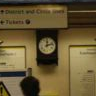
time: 12:12
